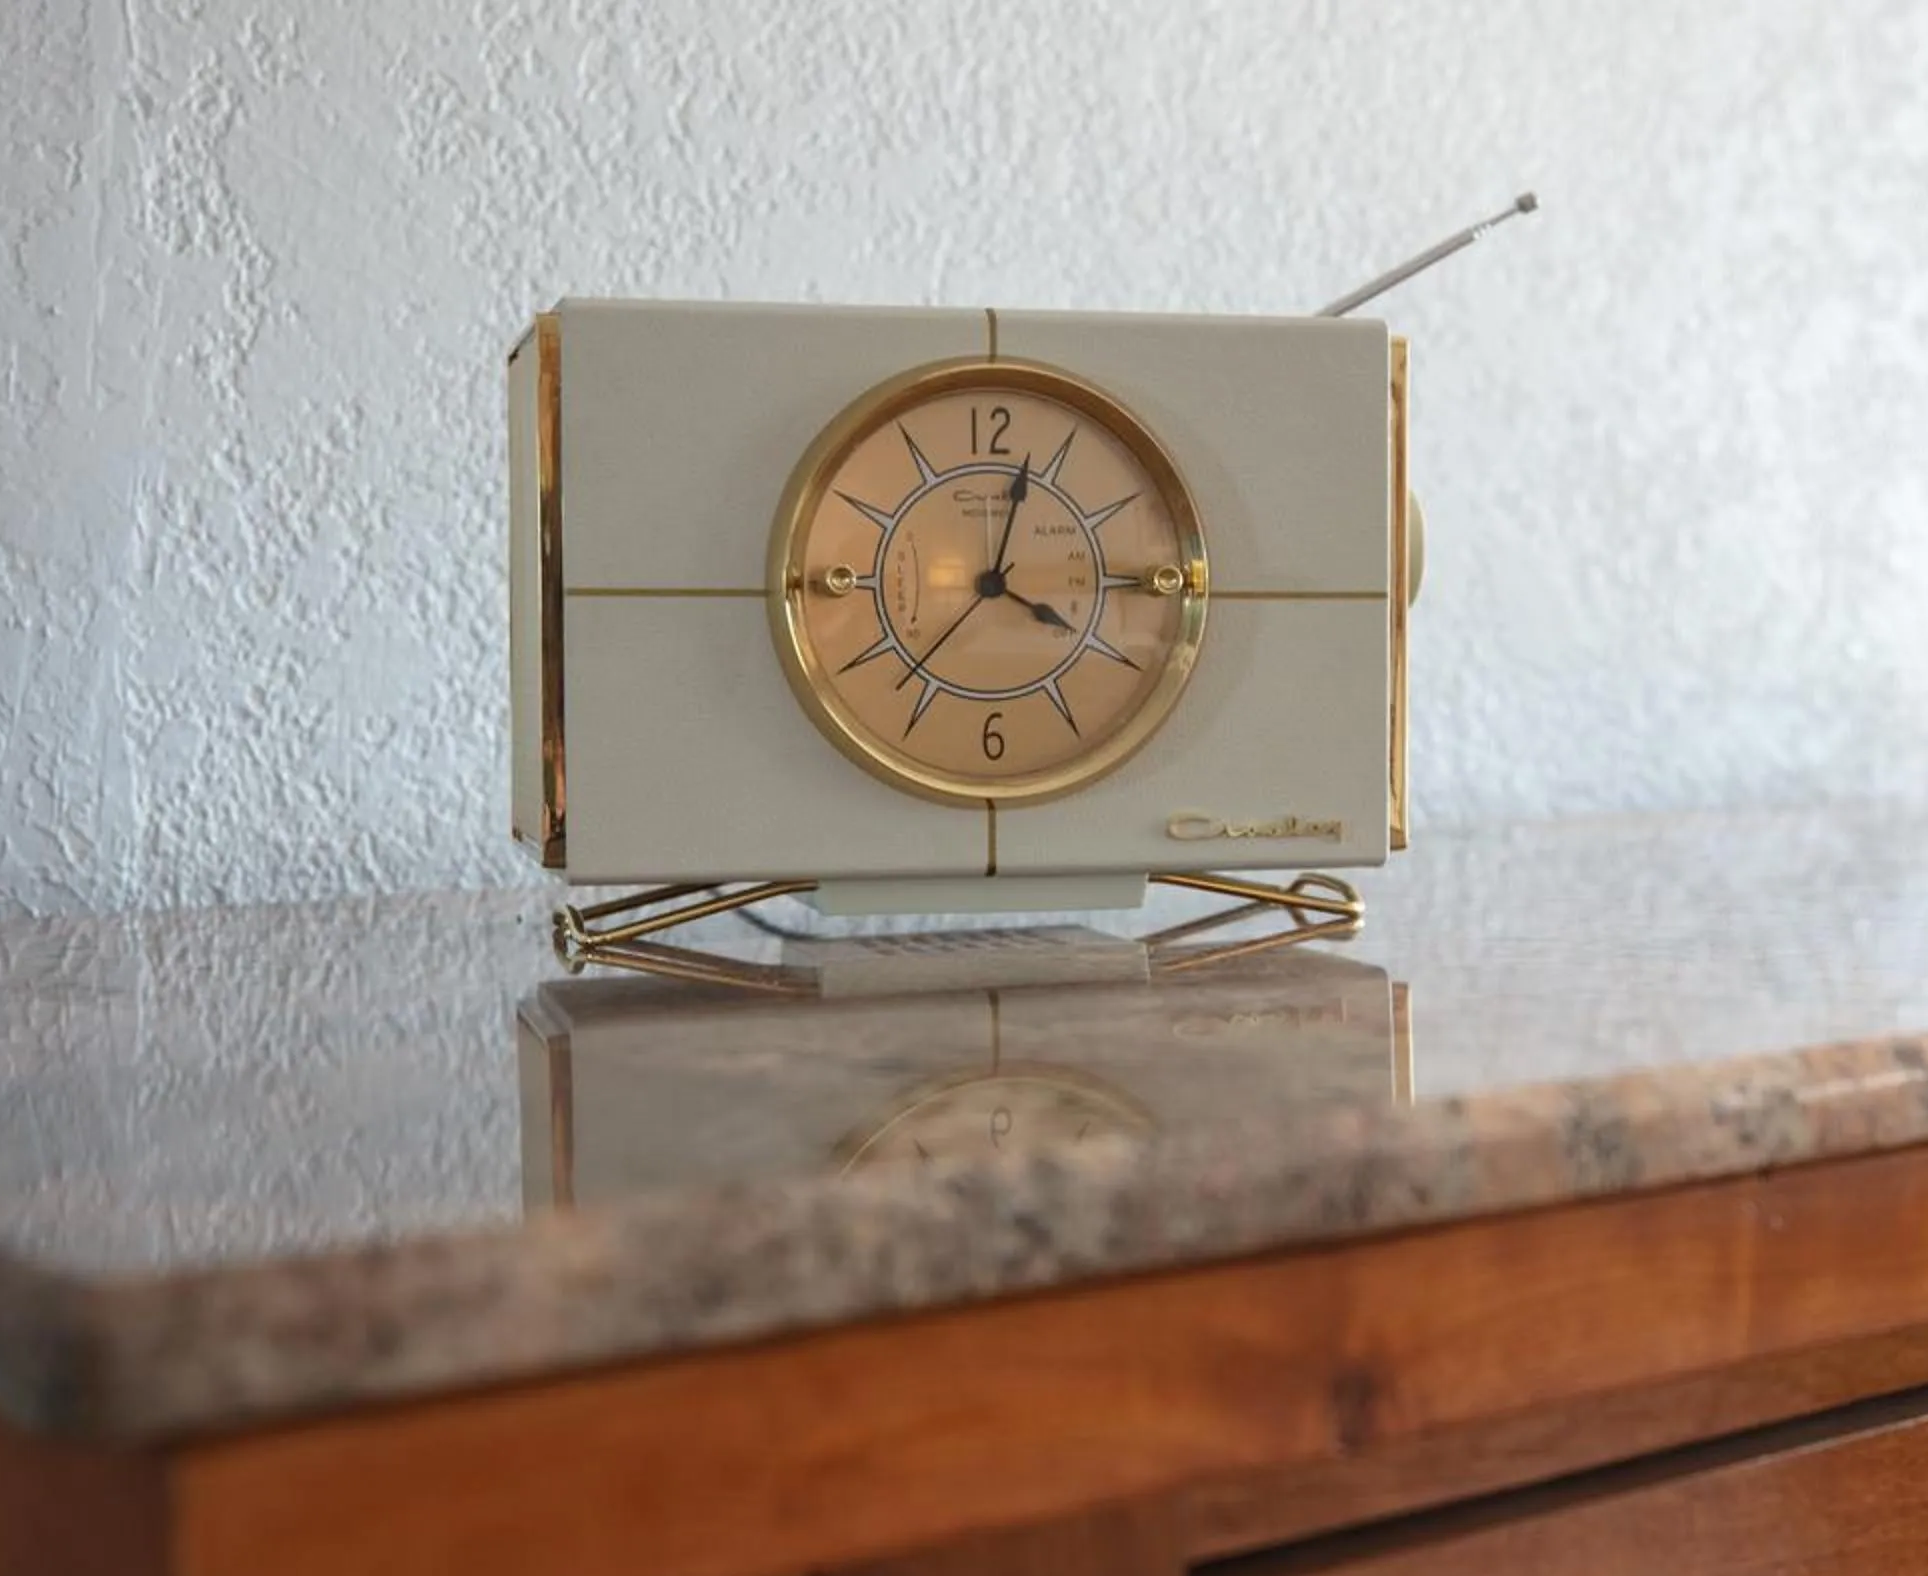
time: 4:02
